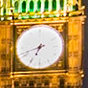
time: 6:41
